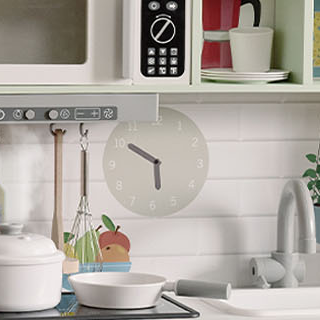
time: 5:50
